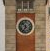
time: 6:52
